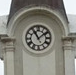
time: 11:08
